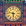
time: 5:47
